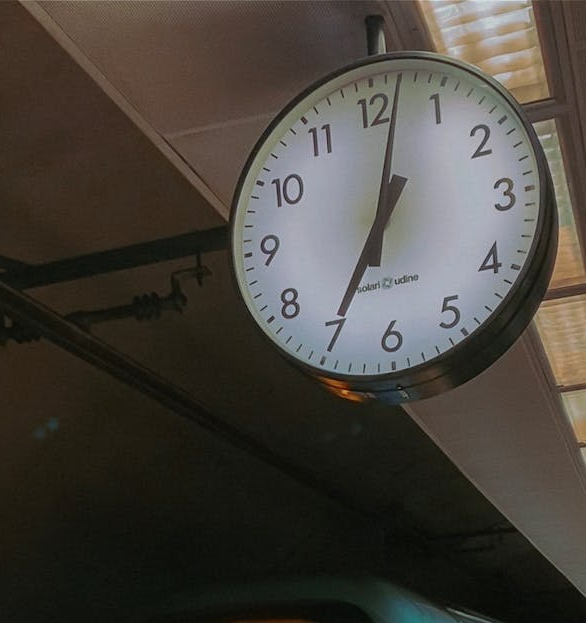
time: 7:01
